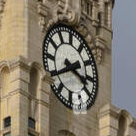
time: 3:40
